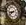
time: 8:38
